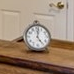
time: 5:01
